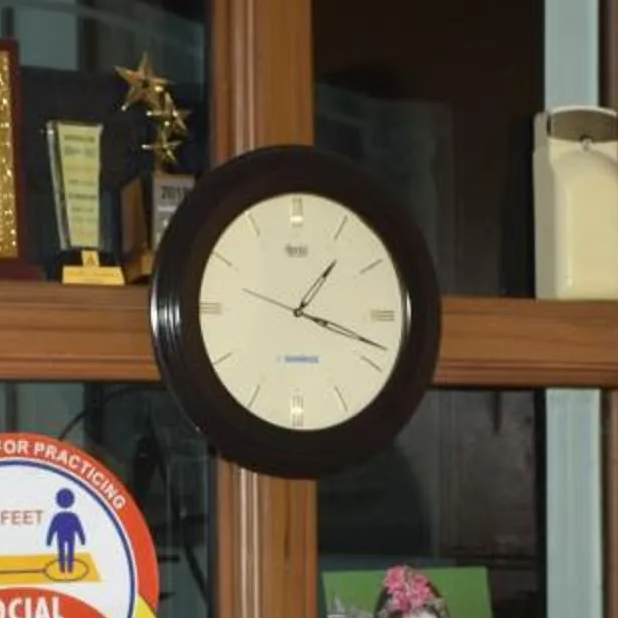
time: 1:18
